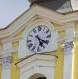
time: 5:21
